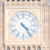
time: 4:23
